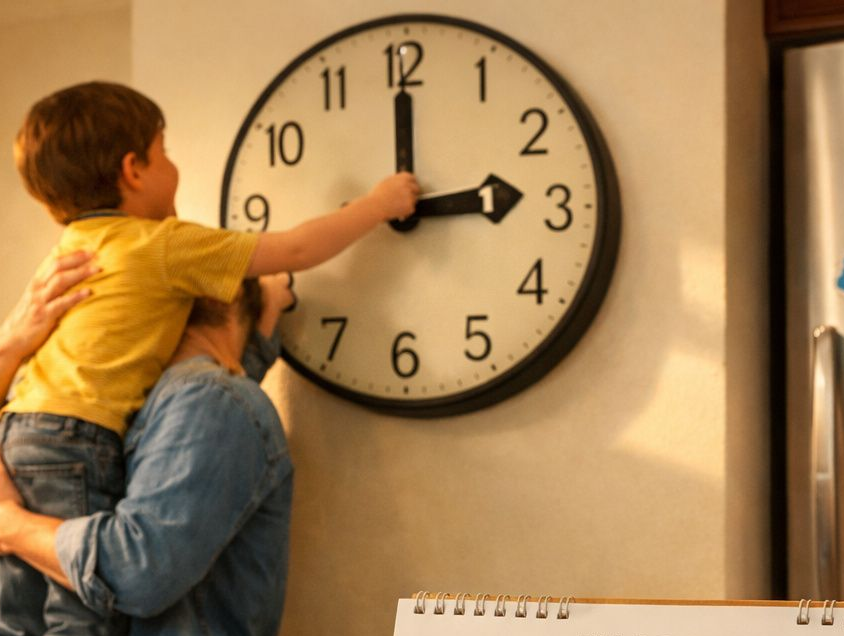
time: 2:59
